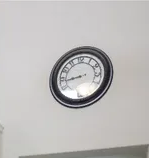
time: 8:43
